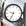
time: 9:34
